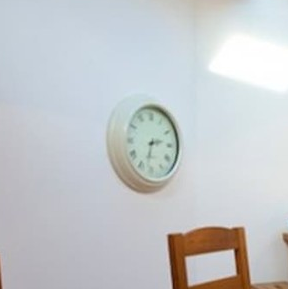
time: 2:32
